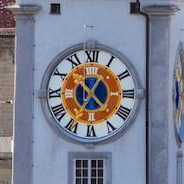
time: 4:35
